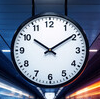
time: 10:09
